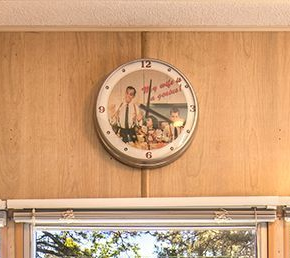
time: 4:01
